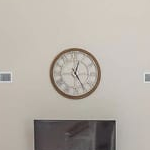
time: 12:24
